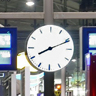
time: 8:11
